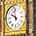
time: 9:57
